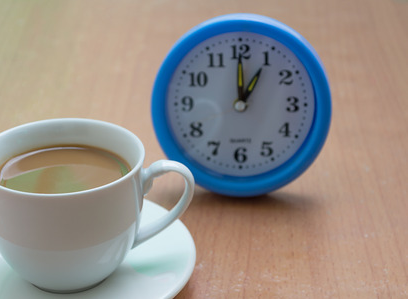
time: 1:00
